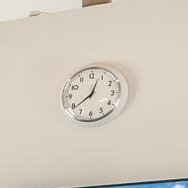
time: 12:38
